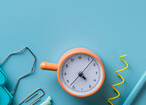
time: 4:37
